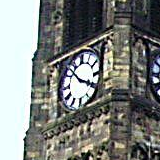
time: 3:52
